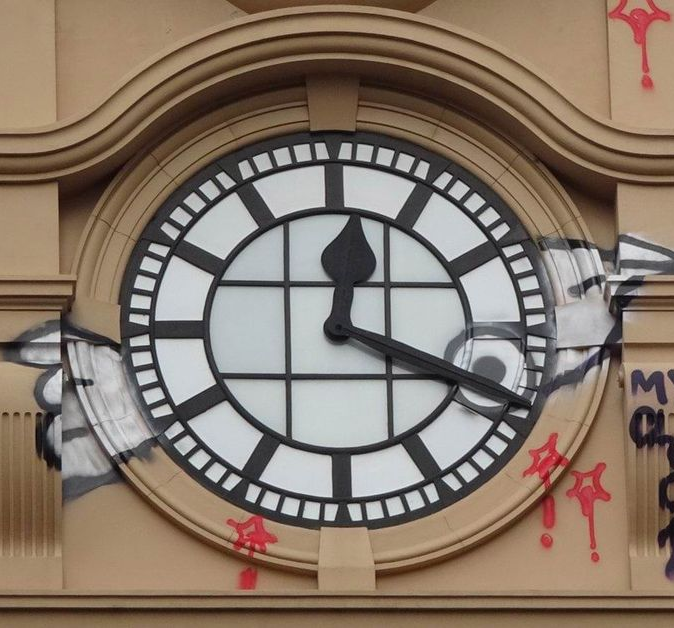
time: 12:18
